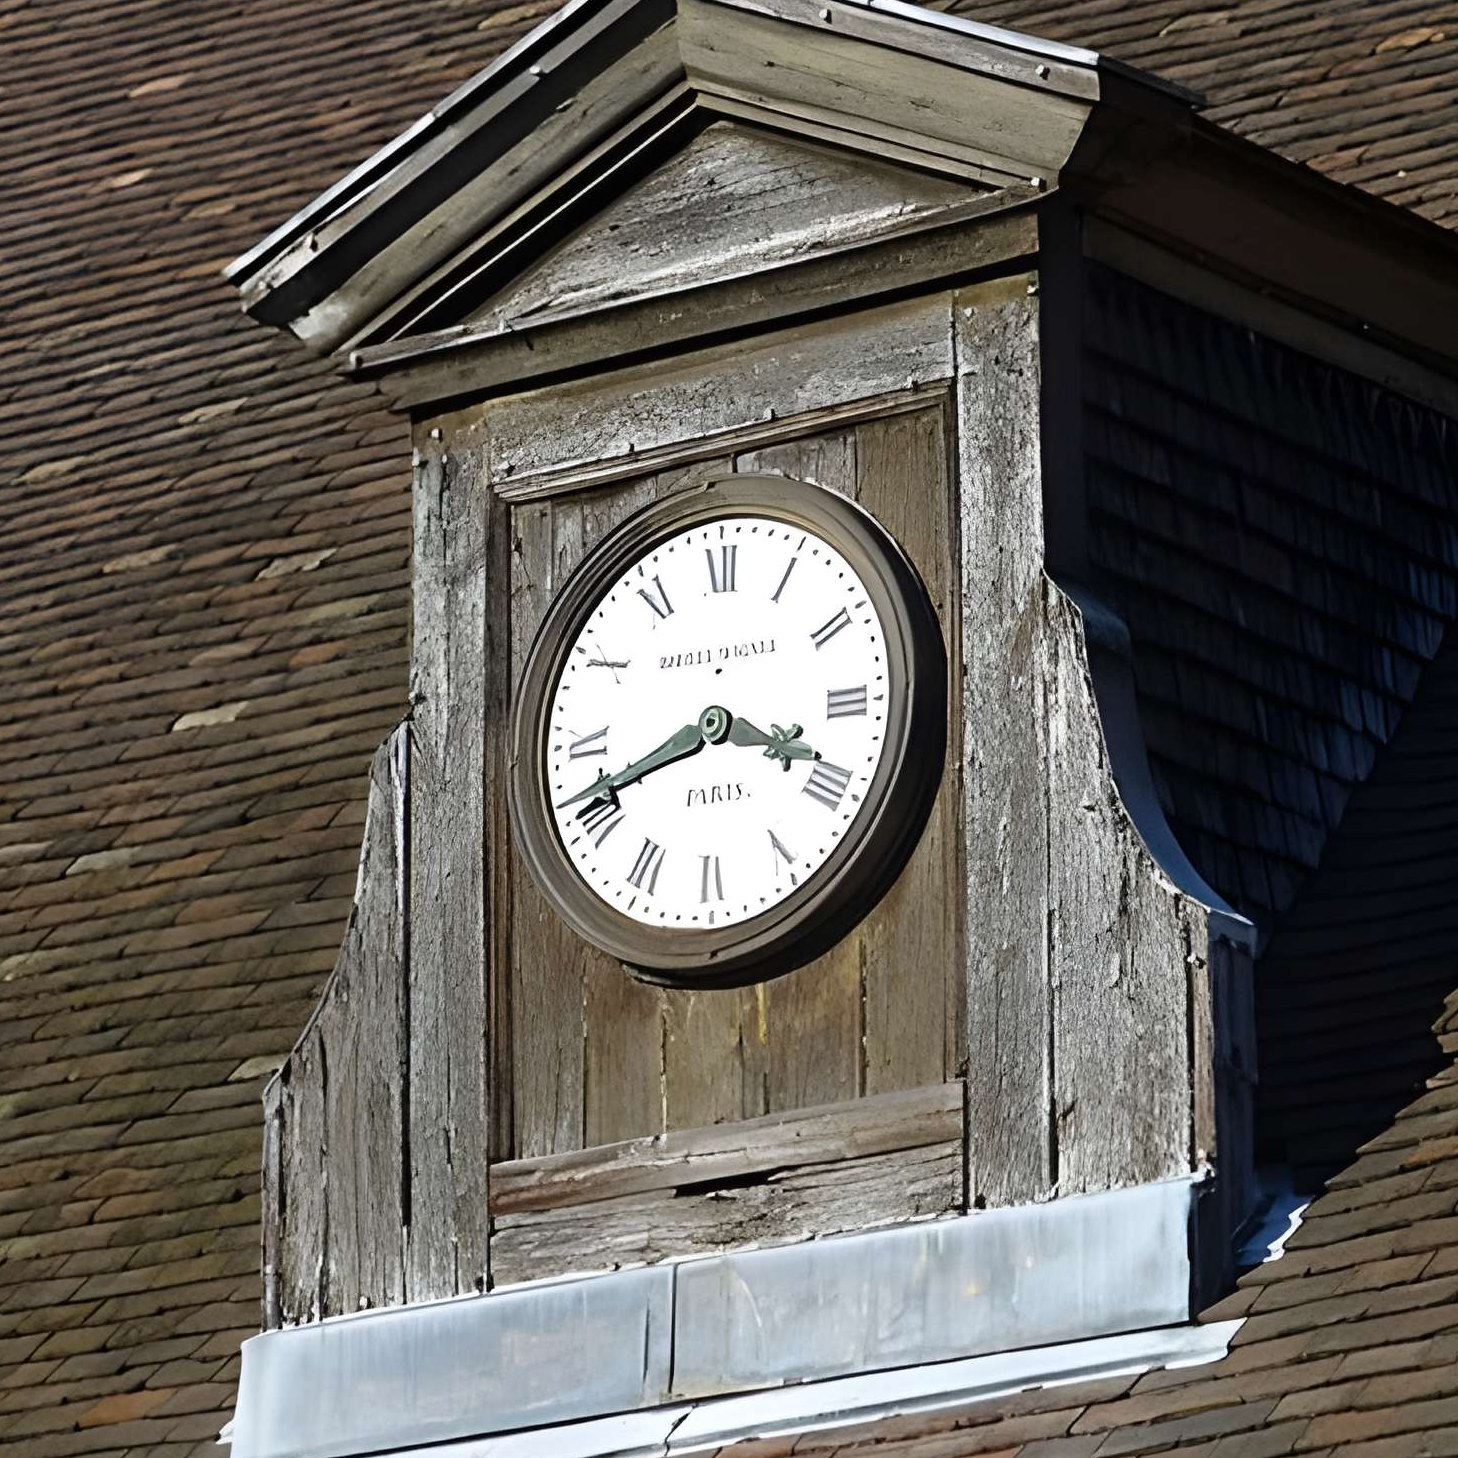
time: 3:41
